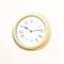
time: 10:13
